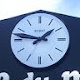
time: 1:46
